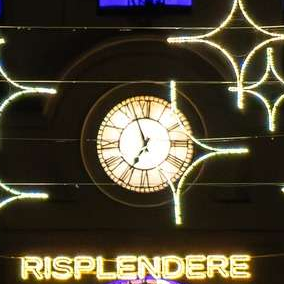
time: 6:56
